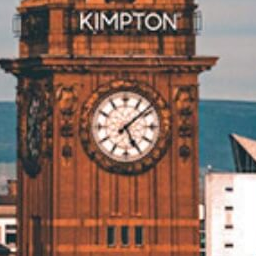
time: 5:08
